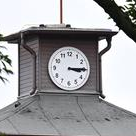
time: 3:14
